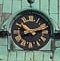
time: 10:11
